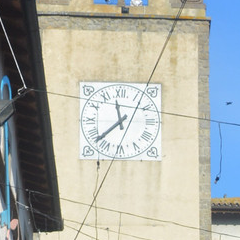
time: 11:37
